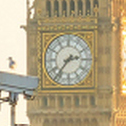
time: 2:36
